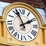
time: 1:56
